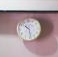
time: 10:28
